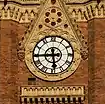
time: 5:44
